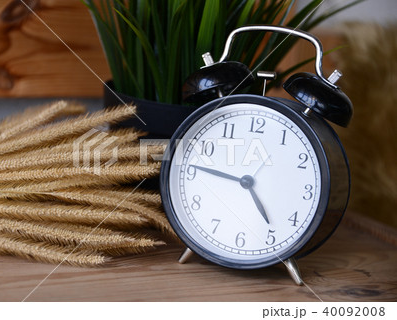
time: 4:46
